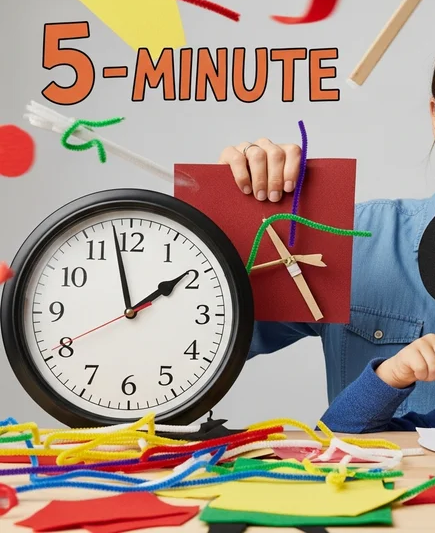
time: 1:57
